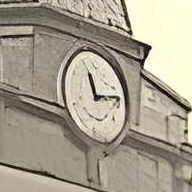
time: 11:13
